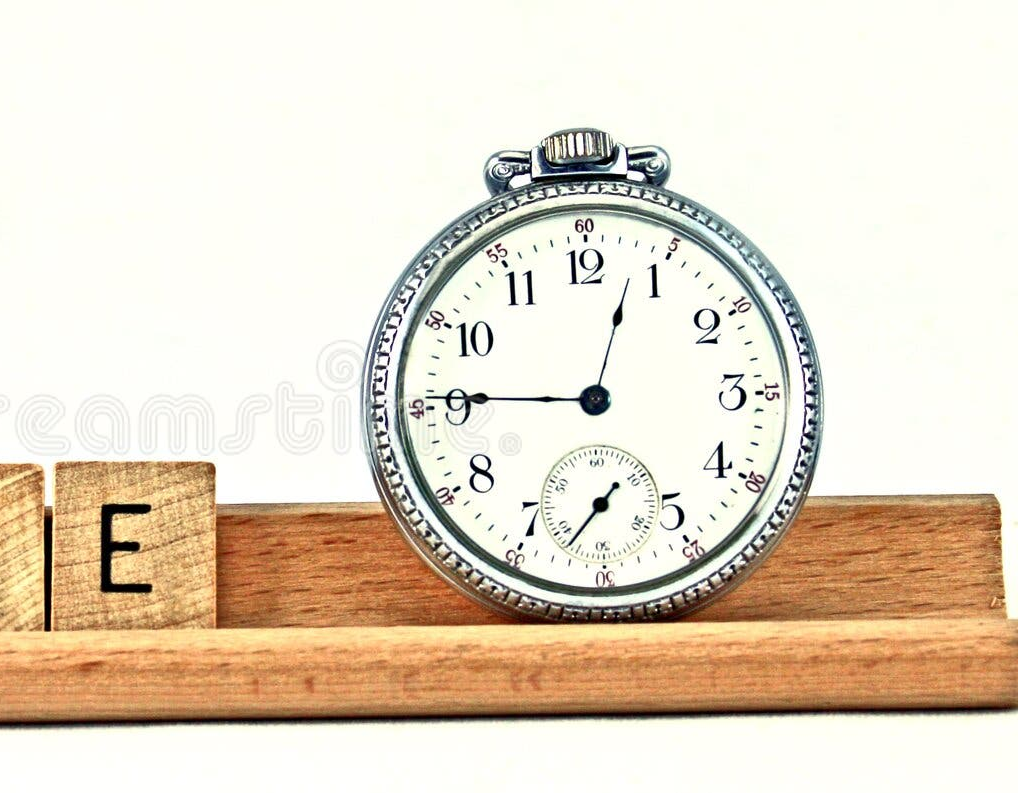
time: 12:45
